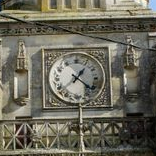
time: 1:21
